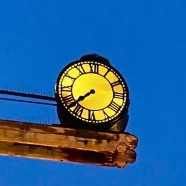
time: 7:37
